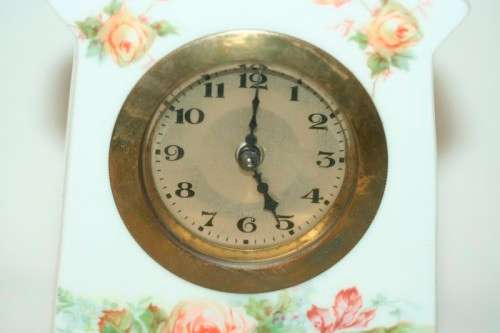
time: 5:00
